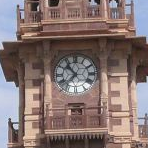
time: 10:37
